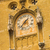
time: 1:37
